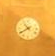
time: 10:39
